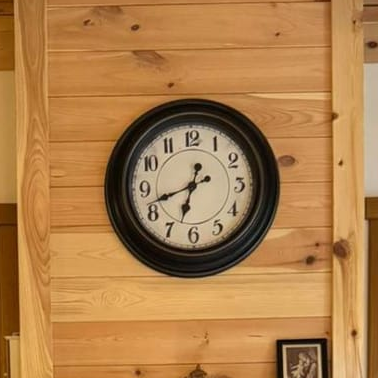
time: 6:41
